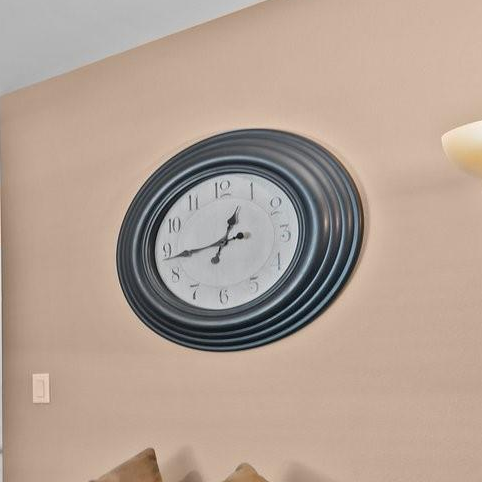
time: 12:43
